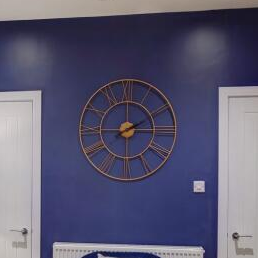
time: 2:15
